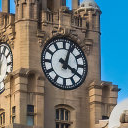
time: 4:03
